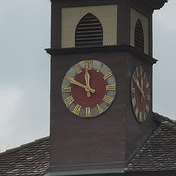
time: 11:49
